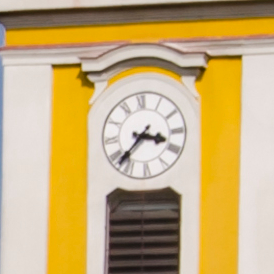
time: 3:37
